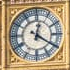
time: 12:20
